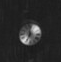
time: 6:58
